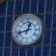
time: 12:42
